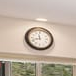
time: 11:42
